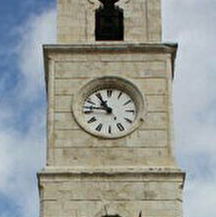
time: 10:46
